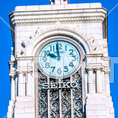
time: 9:59
